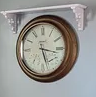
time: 3:27
